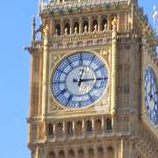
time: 3:02
